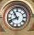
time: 10:41
